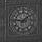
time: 1:46
